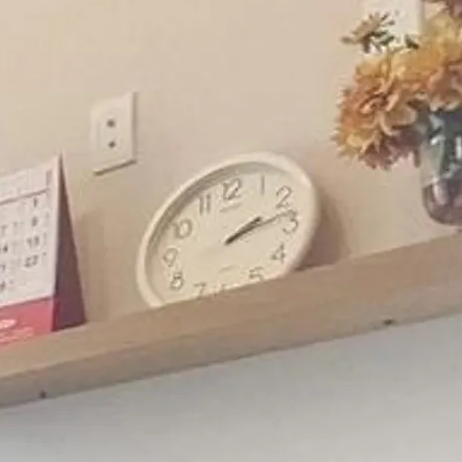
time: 2:12
